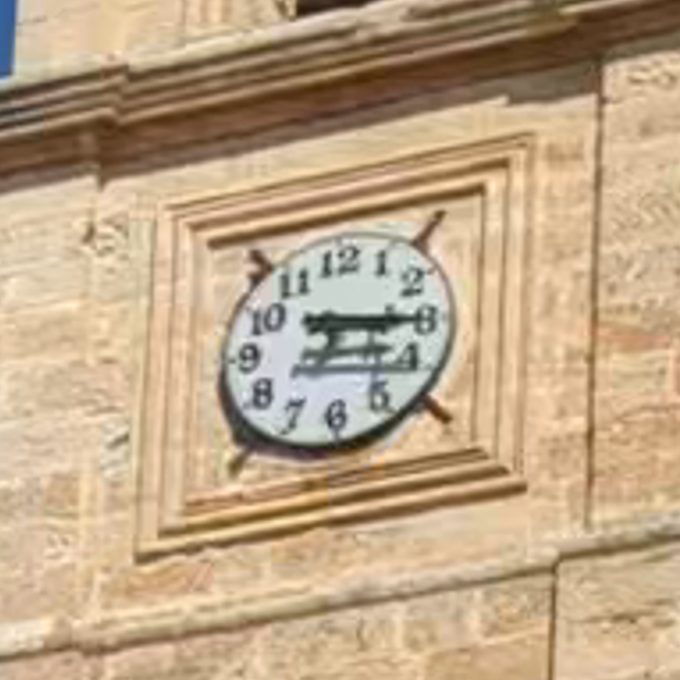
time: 3:15
